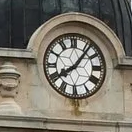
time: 8:06
